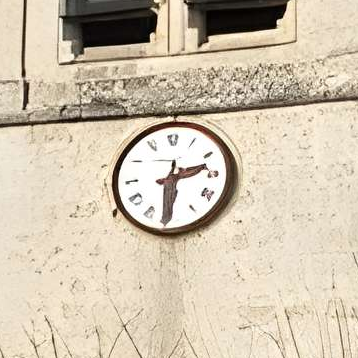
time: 2:30
